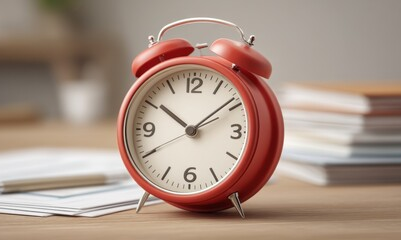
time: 10:08
